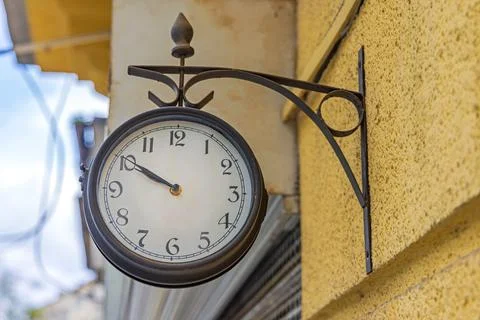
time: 9:50
